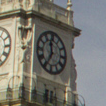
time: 11:35
